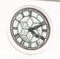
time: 4:11
